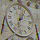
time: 1:02
